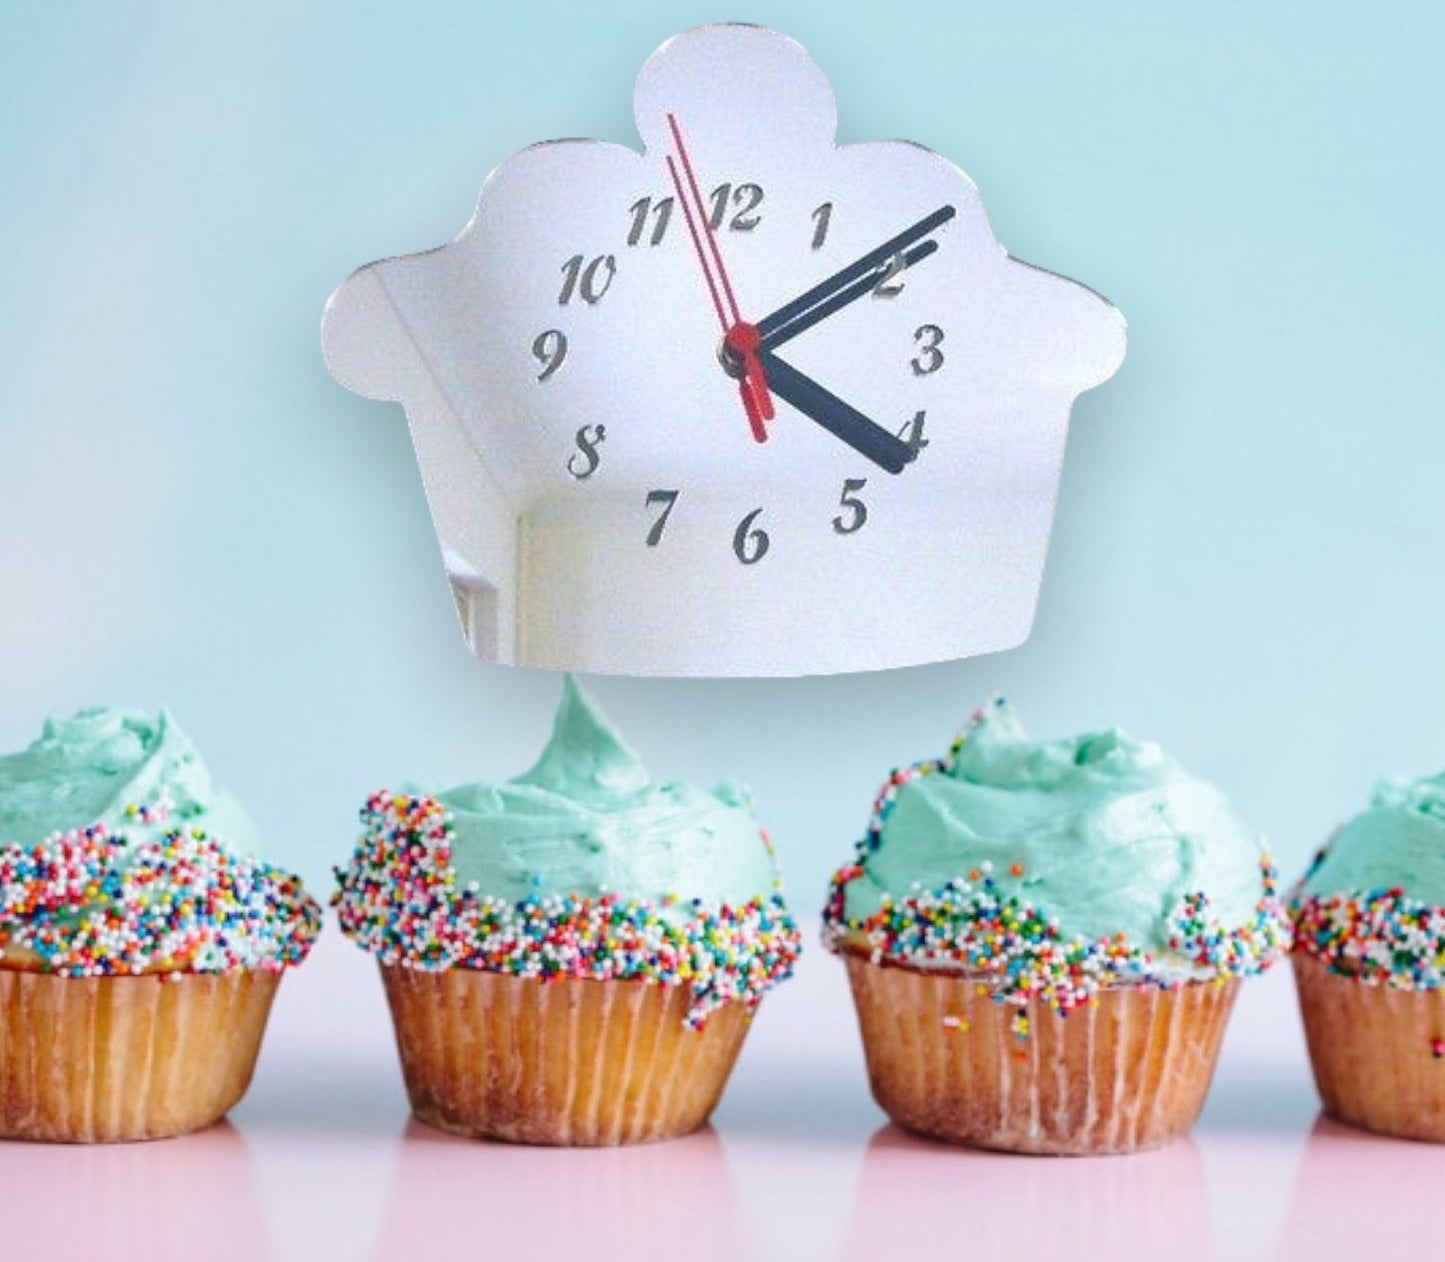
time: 4:09
